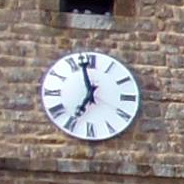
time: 6:57
